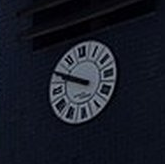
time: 9:50
